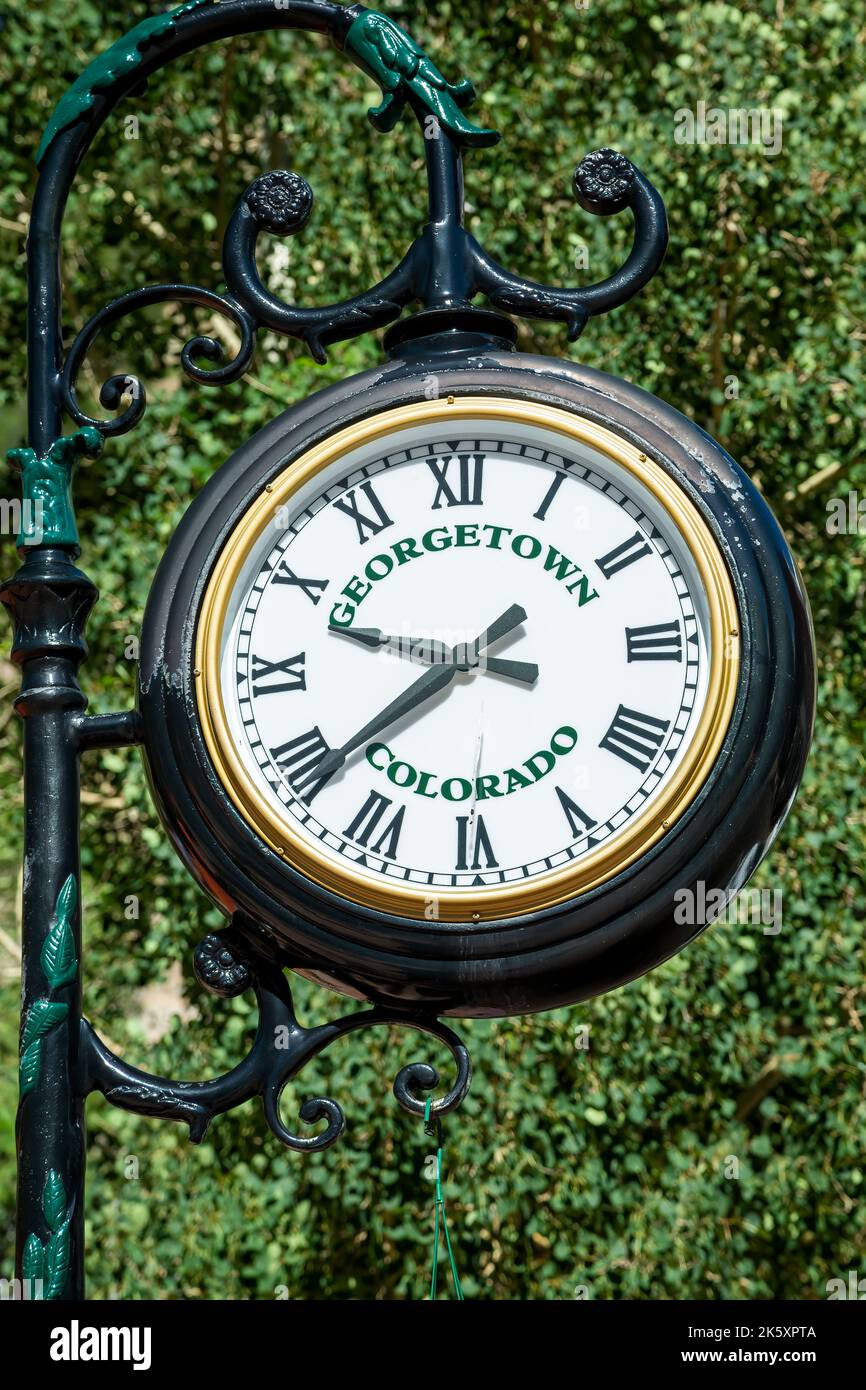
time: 9:38
